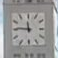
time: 11:46
